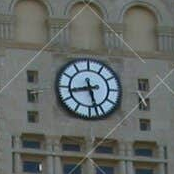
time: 8:27
